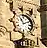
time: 11:10
